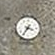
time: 3:35
